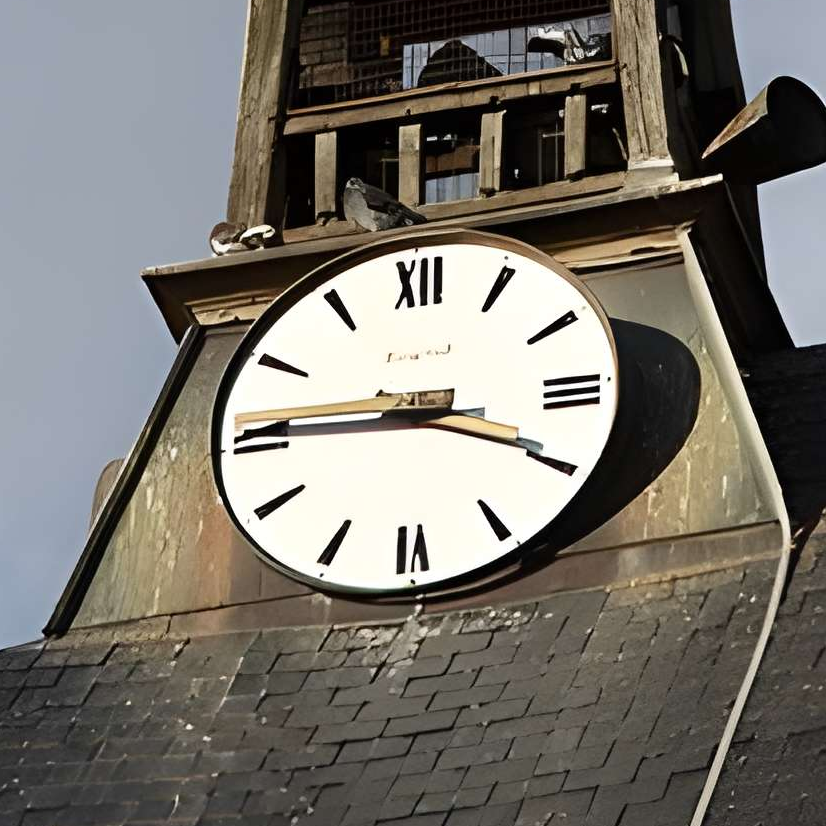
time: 3:45
